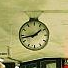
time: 1:43
